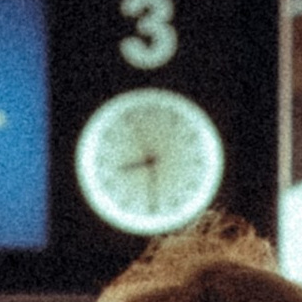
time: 8:29
